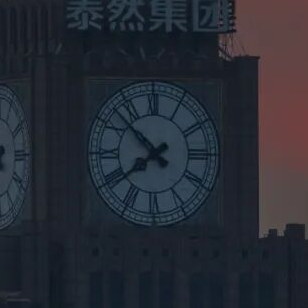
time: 7:52
